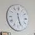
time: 5:26
